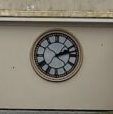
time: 2:12
